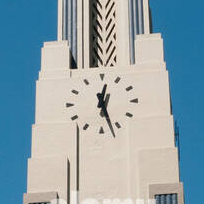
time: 12:27
